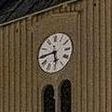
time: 5:44
